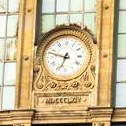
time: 6:47
